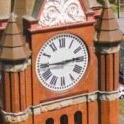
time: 2:45
